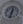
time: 12:32
